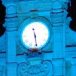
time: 11:28
